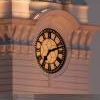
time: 7:12
